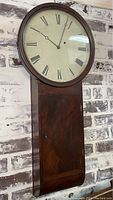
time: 10:03
